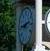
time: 9:12
